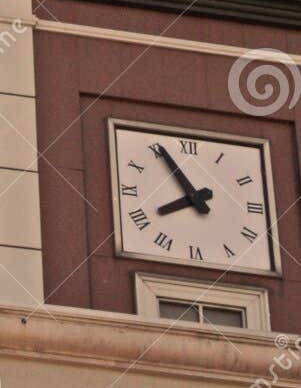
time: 7:55
